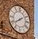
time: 1:39
